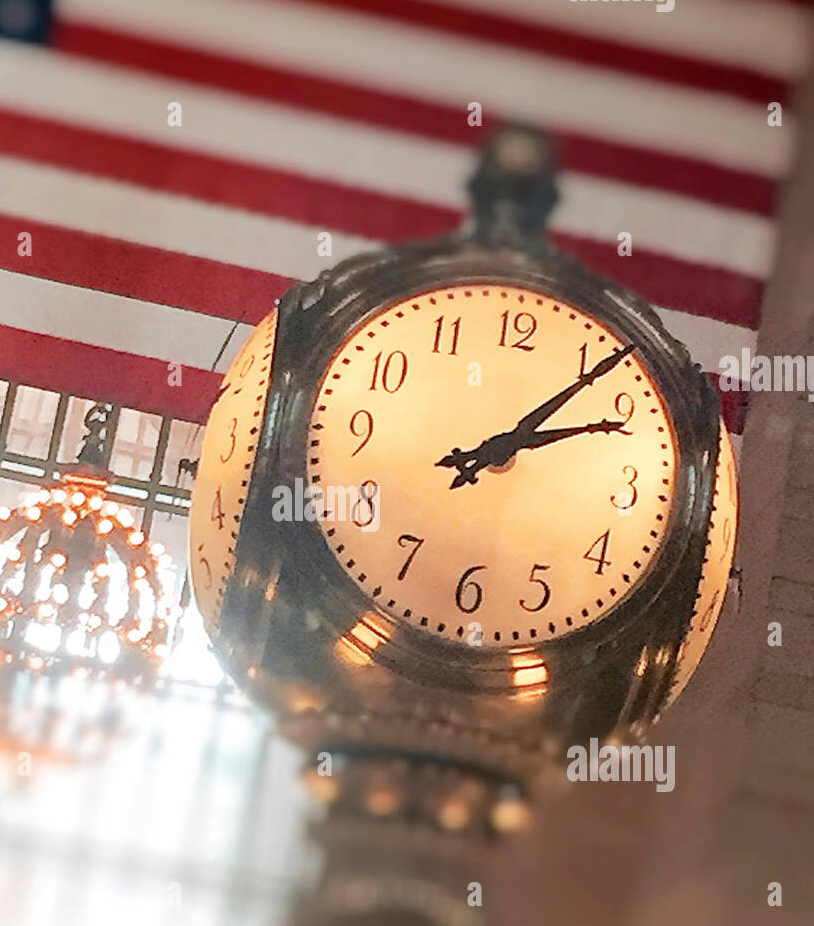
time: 2:06
